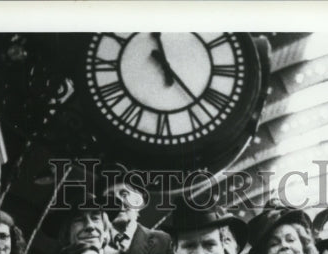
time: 11:22
